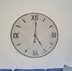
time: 5:01
